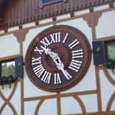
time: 10:25
